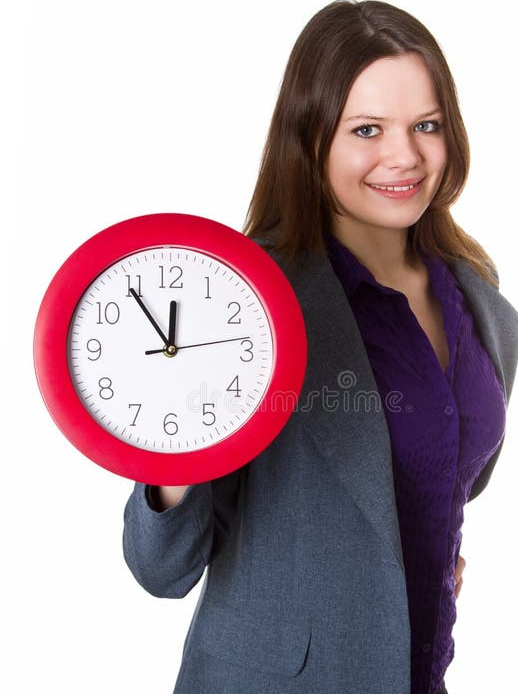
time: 11:54
